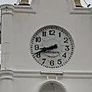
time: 8:41
